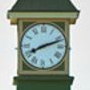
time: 8:11
